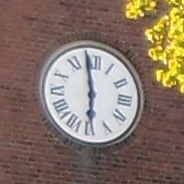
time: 5:58
